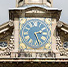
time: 2:26
